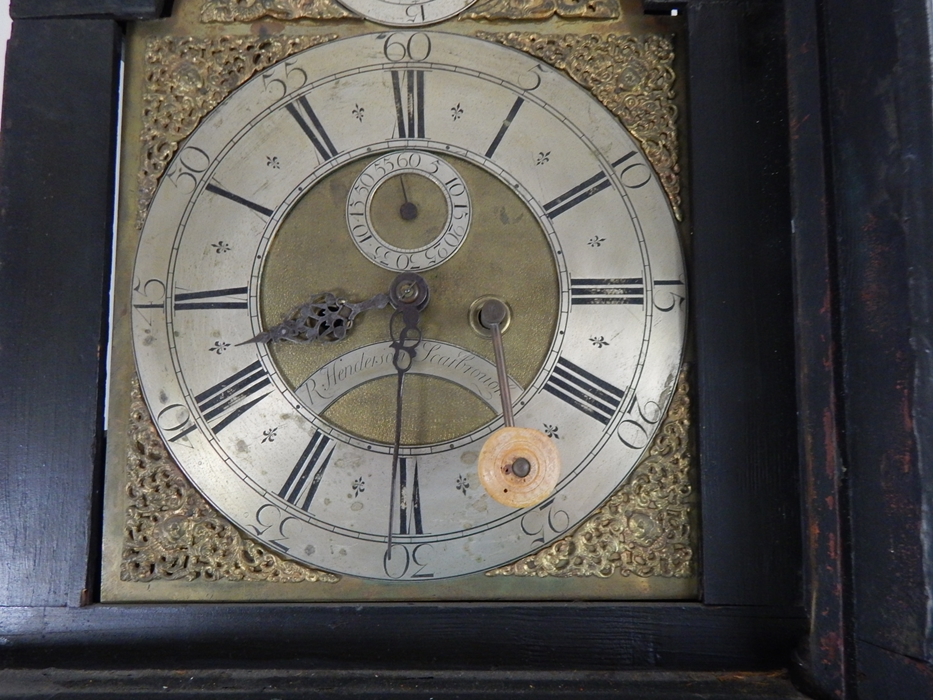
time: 8:30
